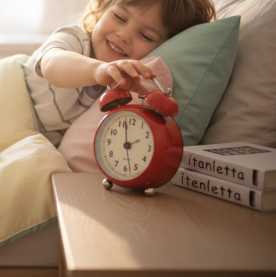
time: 1:58
